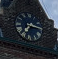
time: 7:15
